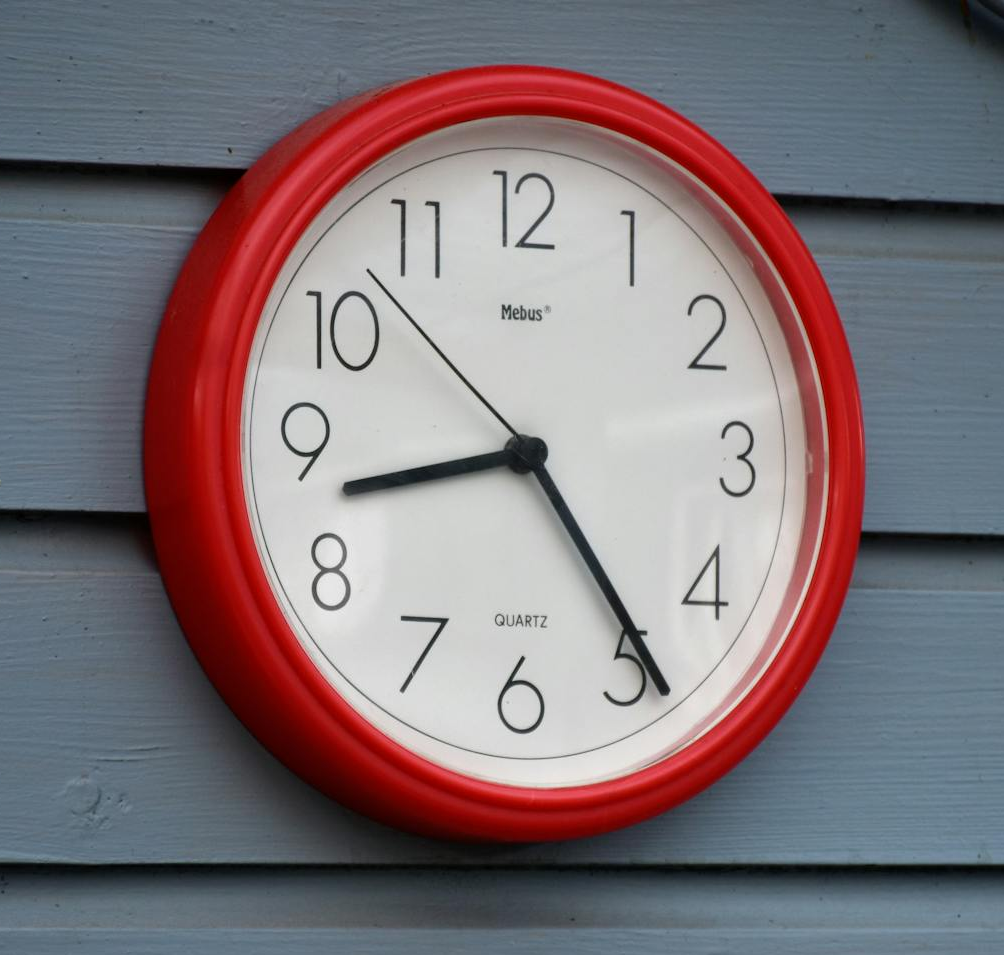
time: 8:24
